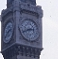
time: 2:41
